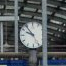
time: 9:53
